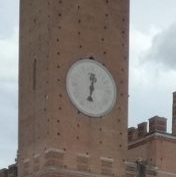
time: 6:32
